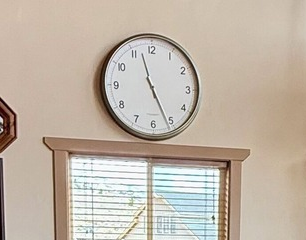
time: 11:25
